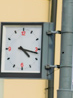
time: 4:17
